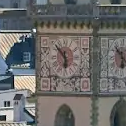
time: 5:54
